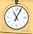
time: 11:04
